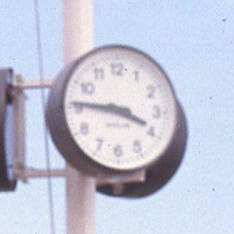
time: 3:45
